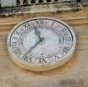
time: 11:36
